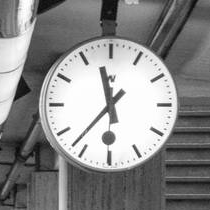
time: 11:36
